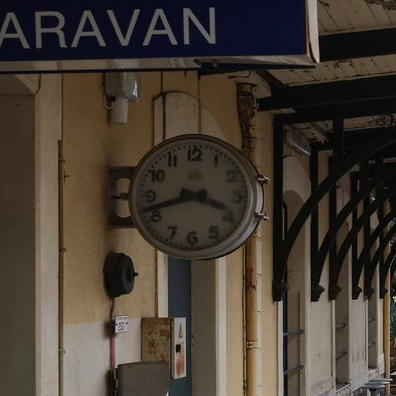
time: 3:42
